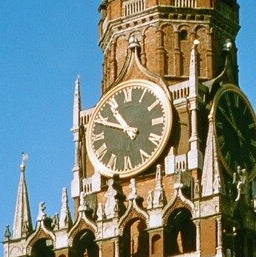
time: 10:48
